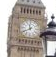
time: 11:40
